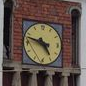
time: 4:47
